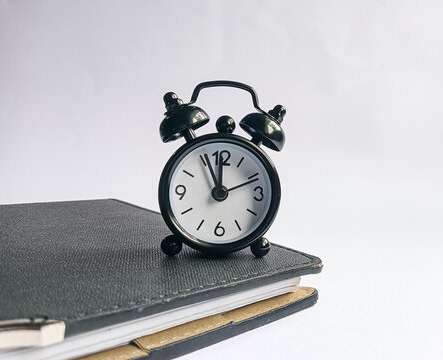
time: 11:56
